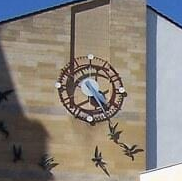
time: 7:24
